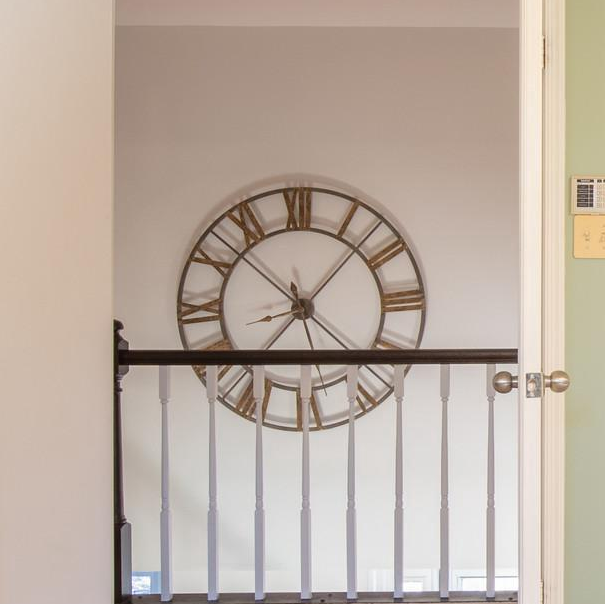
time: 7:07
